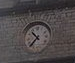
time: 10:37
